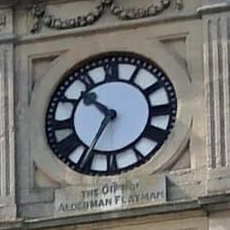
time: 10:34
